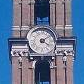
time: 4:09
